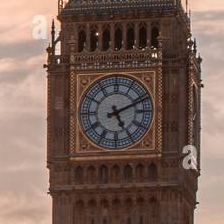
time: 5:11
